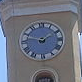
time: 1:47
